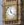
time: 11:21
